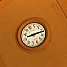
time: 8:12
